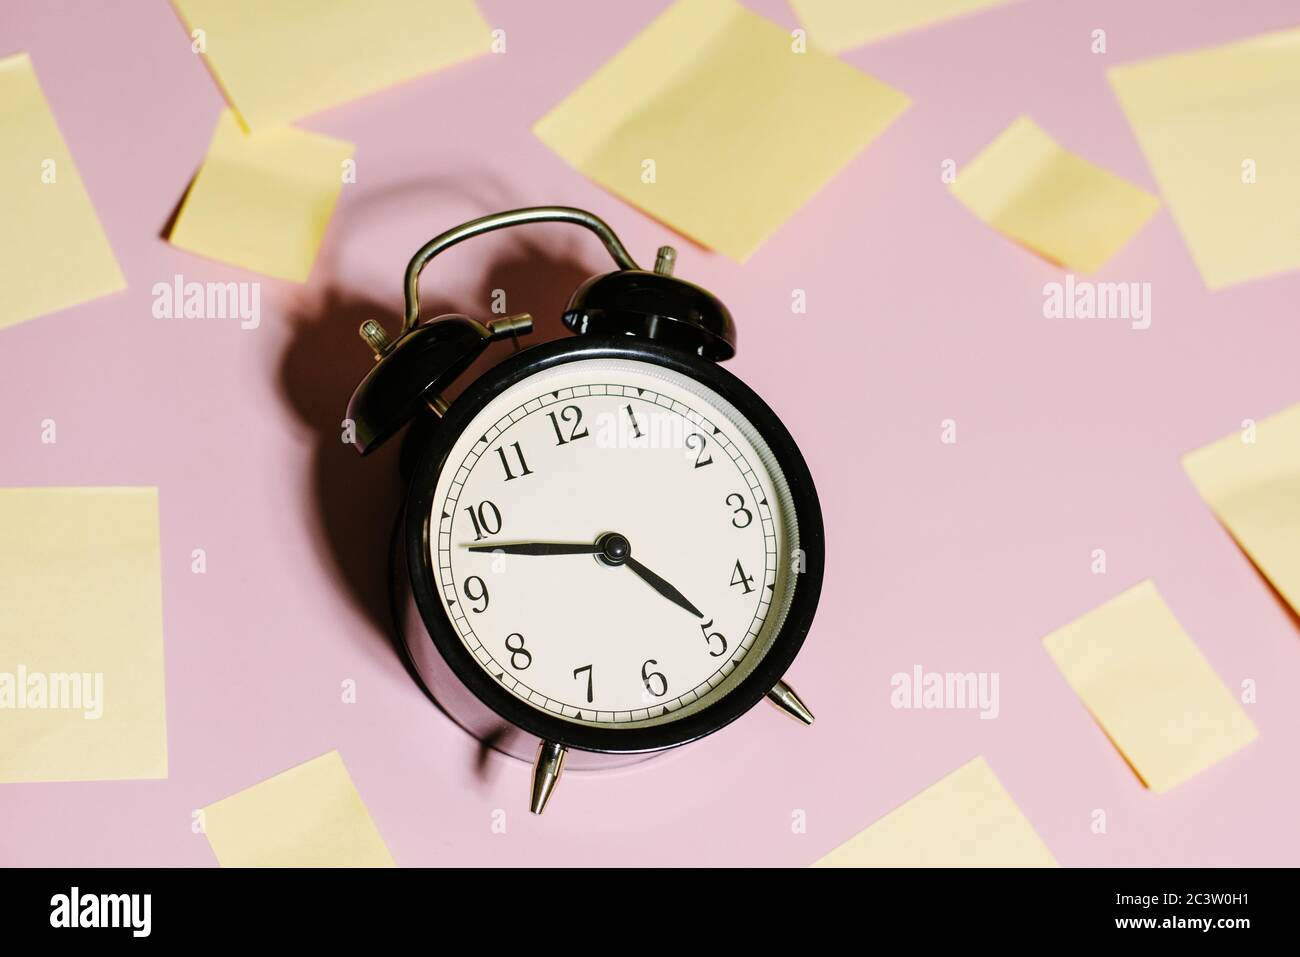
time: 4:47
